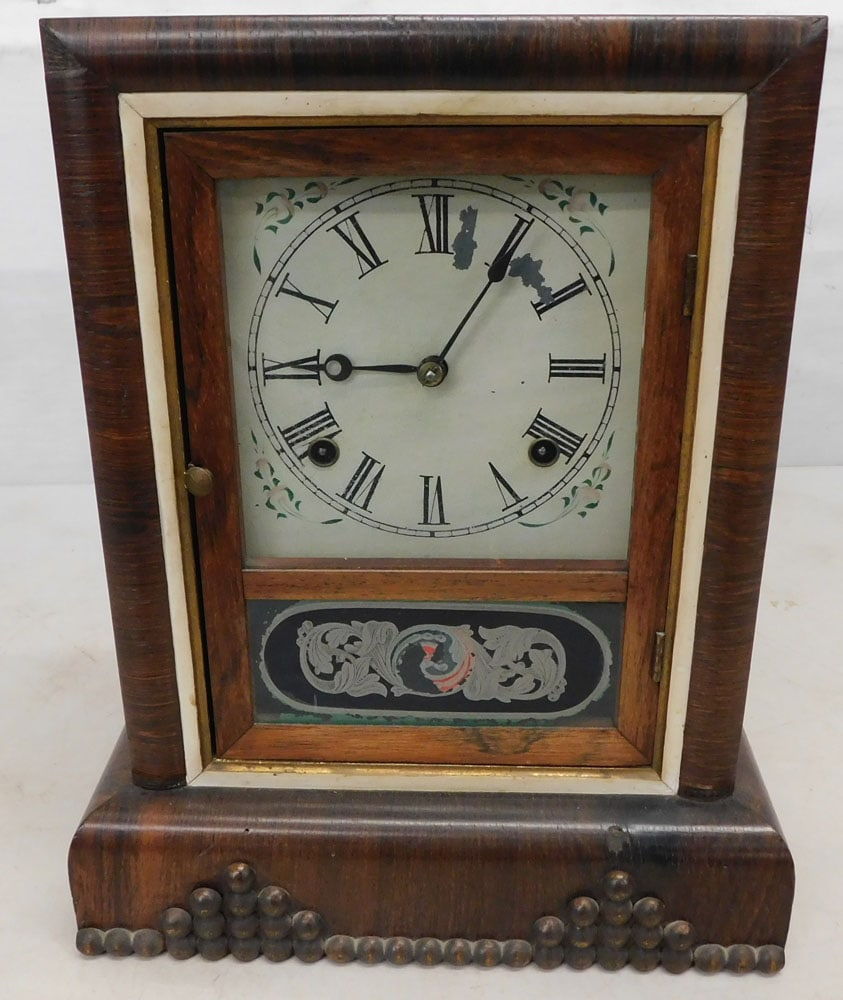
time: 9:05
